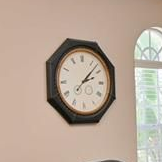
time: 2:07
